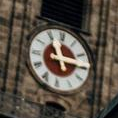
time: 11:14
